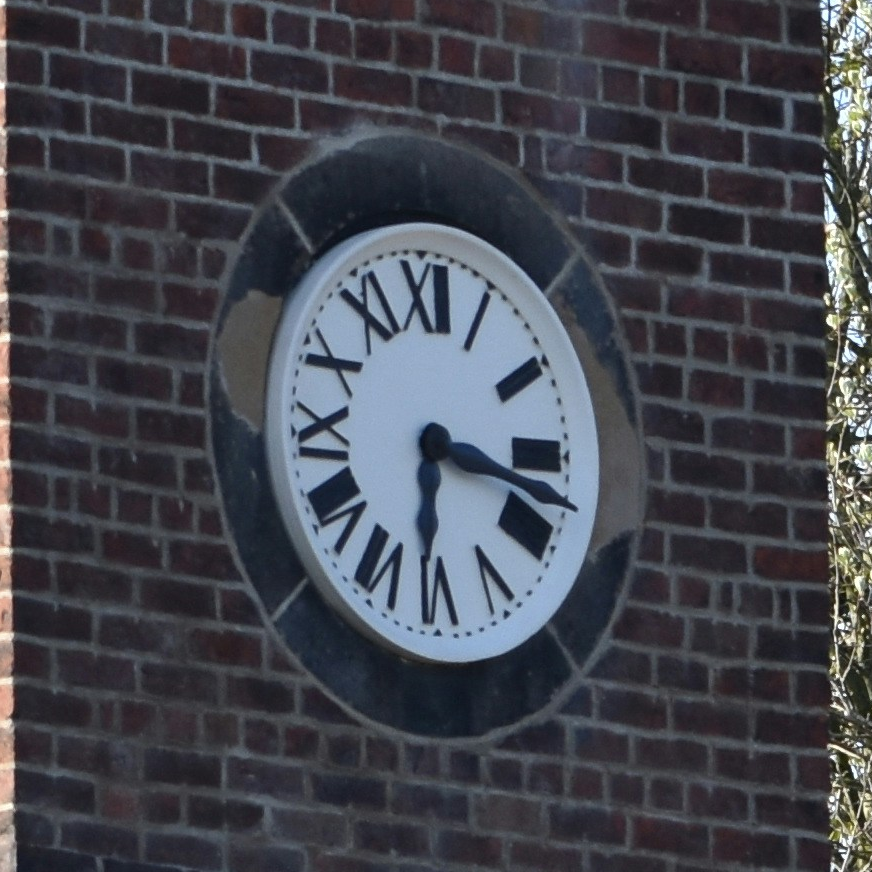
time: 6:17
